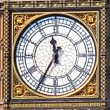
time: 11:35
